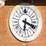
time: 6:18
